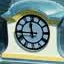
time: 11:44
